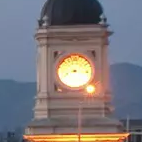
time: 8:16
